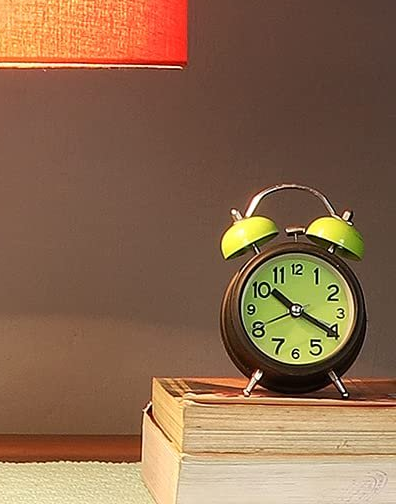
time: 10:19
